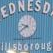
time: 9:40
